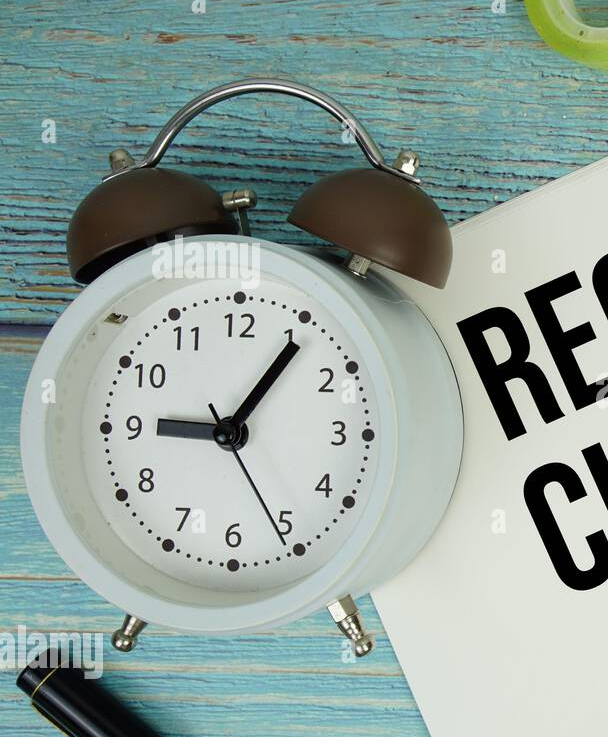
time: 9:05
